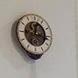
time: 12:16
